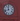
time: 11:42
